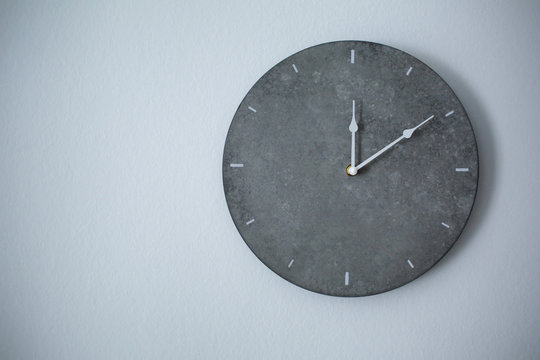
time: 12:09
